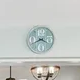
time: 3:40
